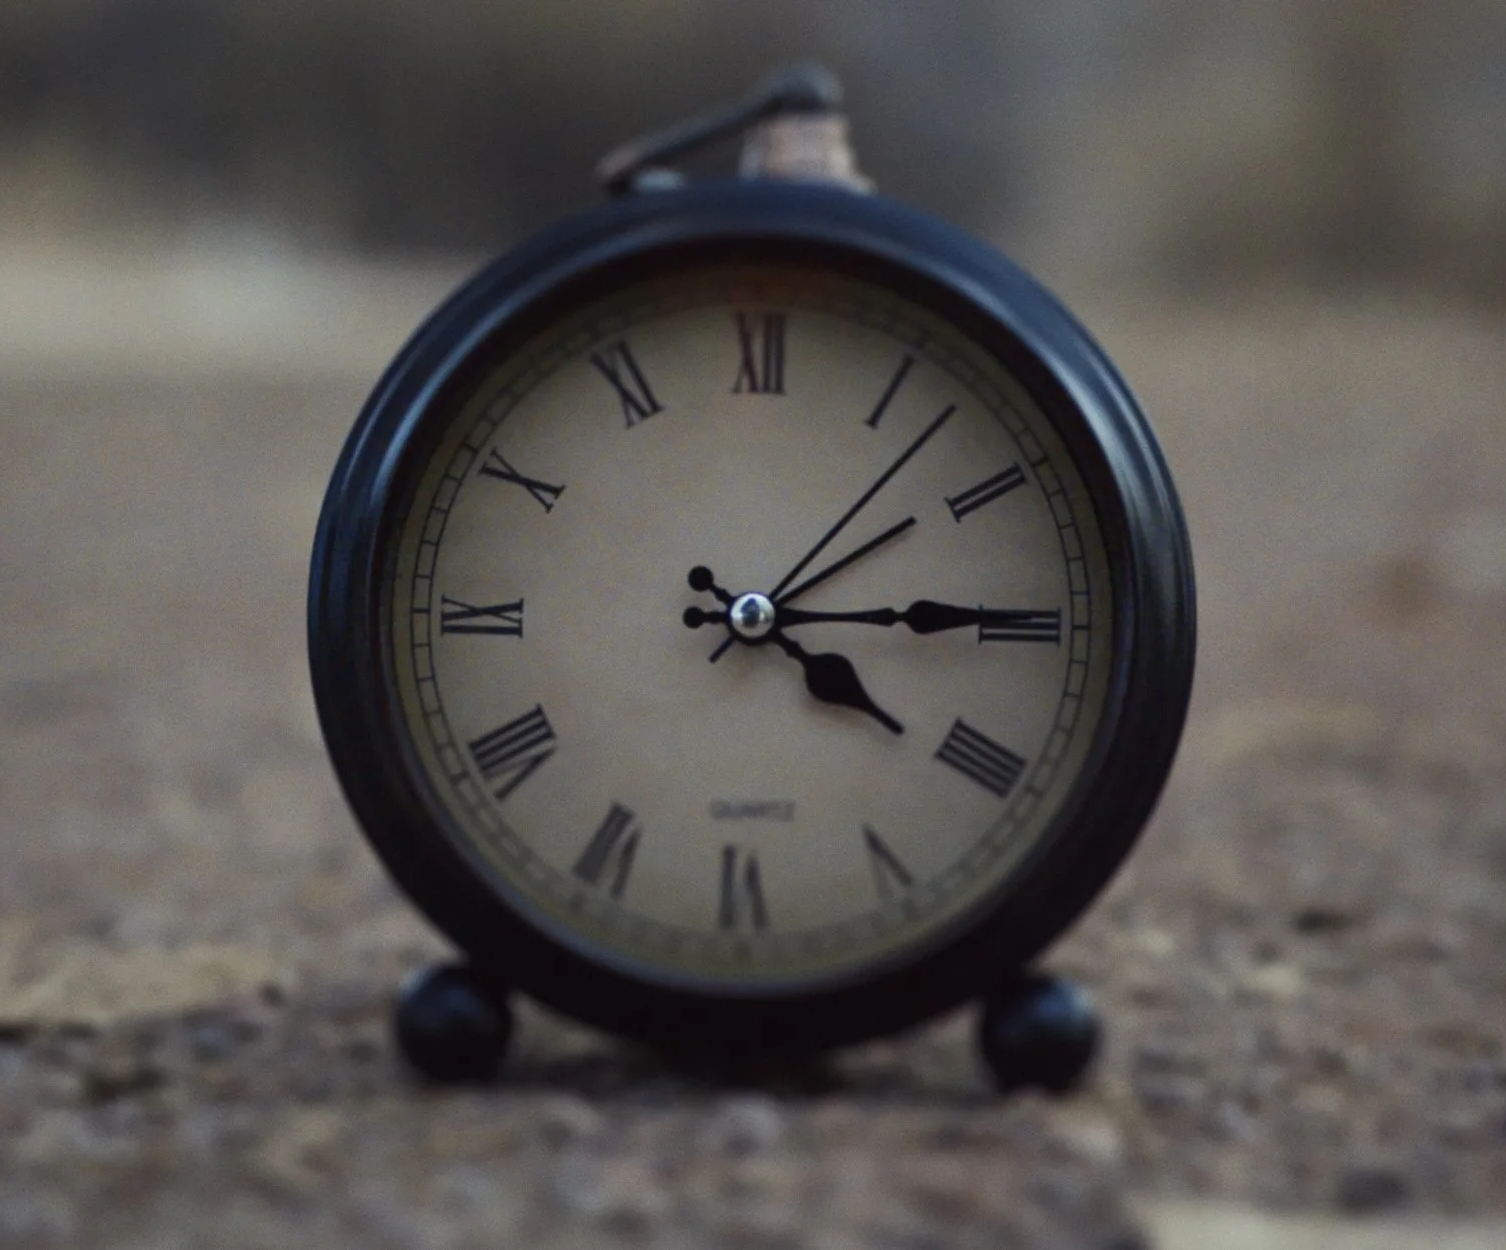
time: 4:14
